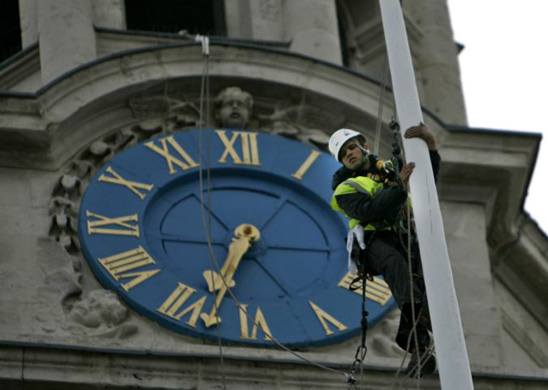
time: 6:33
